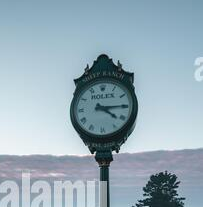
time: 4:14
